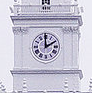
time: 1:59
